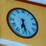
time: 6:27
